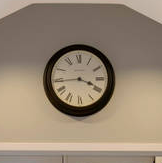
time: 3:43
